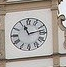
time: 11:12
